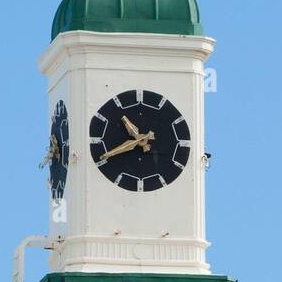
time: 10:40
